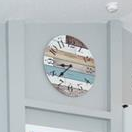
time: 8:37
